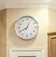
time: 8:04
